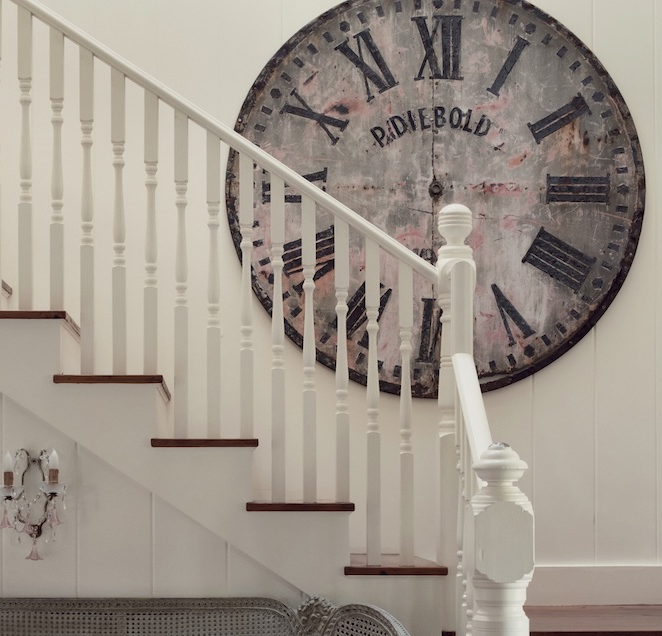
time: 5:59
